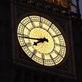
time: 7:43
